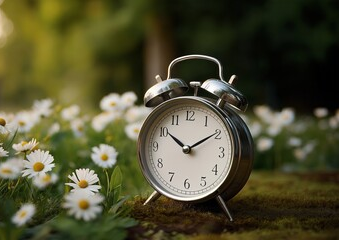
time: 10:09
